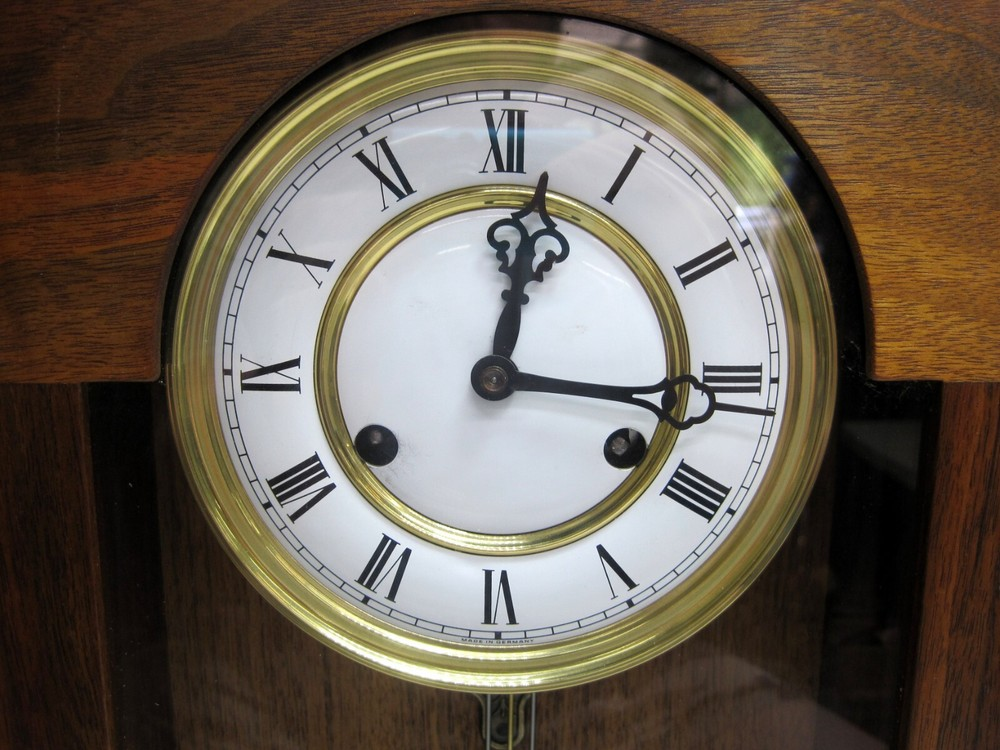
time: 12:16
